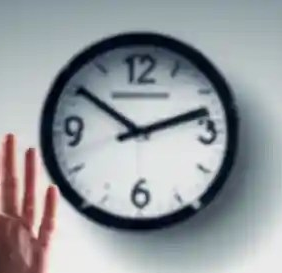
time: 10:12
